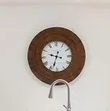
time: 9:33
